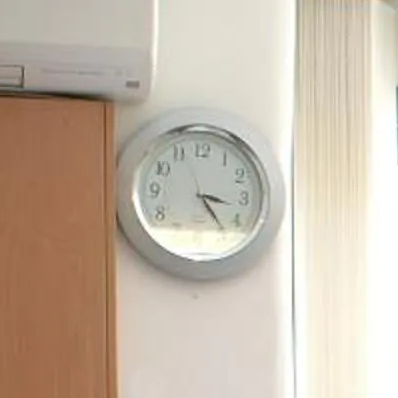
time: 3:23
